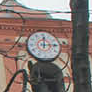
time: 12:14
